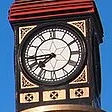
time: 7:43
